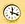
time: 12:18
